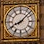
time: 8:07
